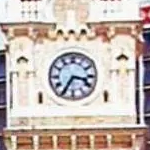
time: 3:35
